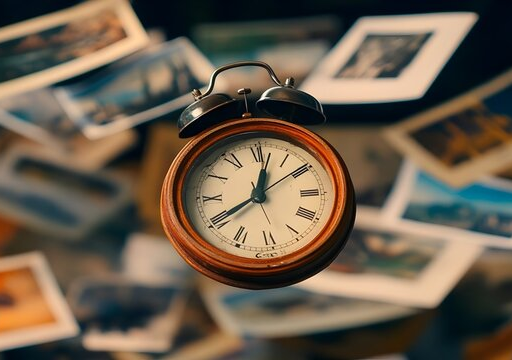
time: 8:01
